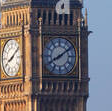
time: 8:09
